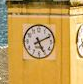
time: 5:11
